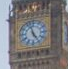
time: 4:57
